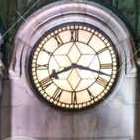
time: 8:17
